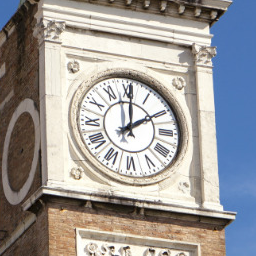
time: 2:00
